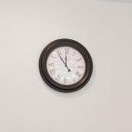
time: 11:53
